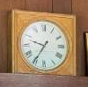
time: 9:35
